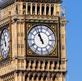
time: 10:56
